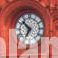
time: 6:52
